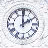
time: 2:00
